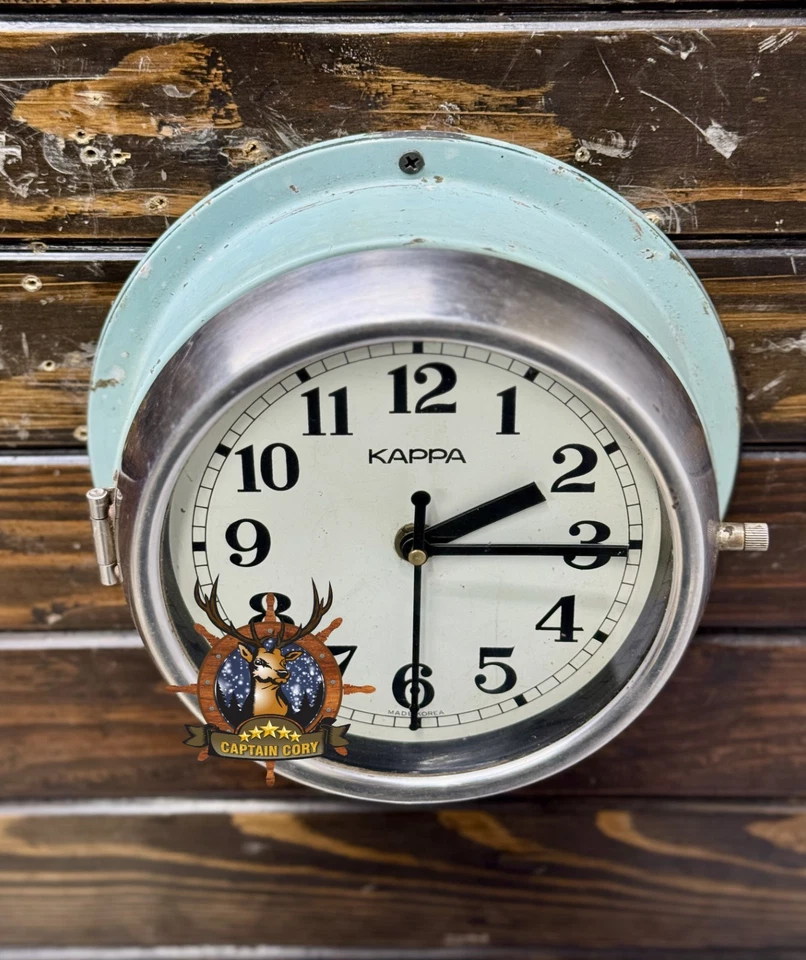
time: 2:15
